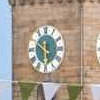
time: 5:50
